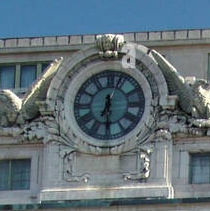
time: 6:29
